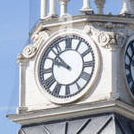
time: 9:52
